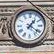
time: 1:20
